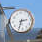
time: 2:33
